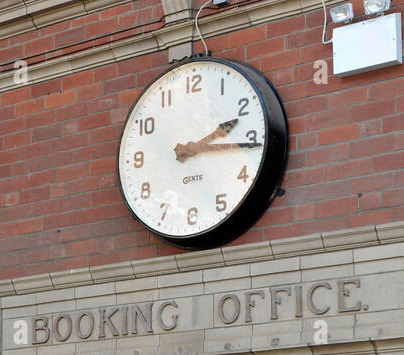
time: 2:15
